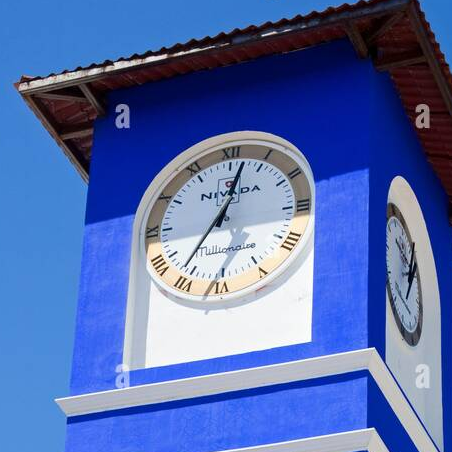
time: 12:36
